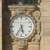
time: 5:35
